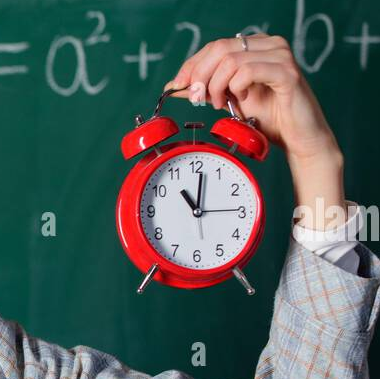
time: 11:01
